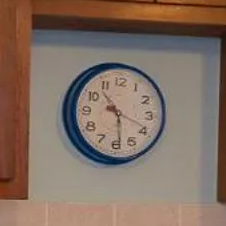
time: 10:28
